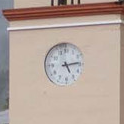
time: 5:13
